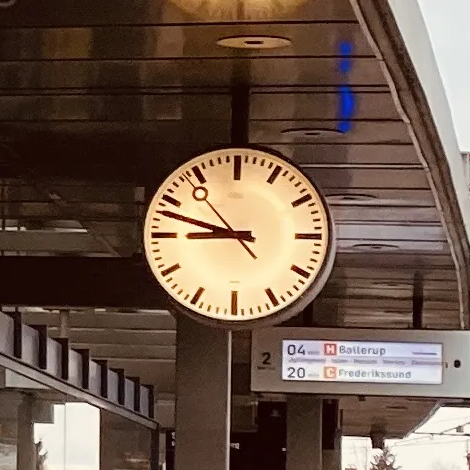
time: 8:48
